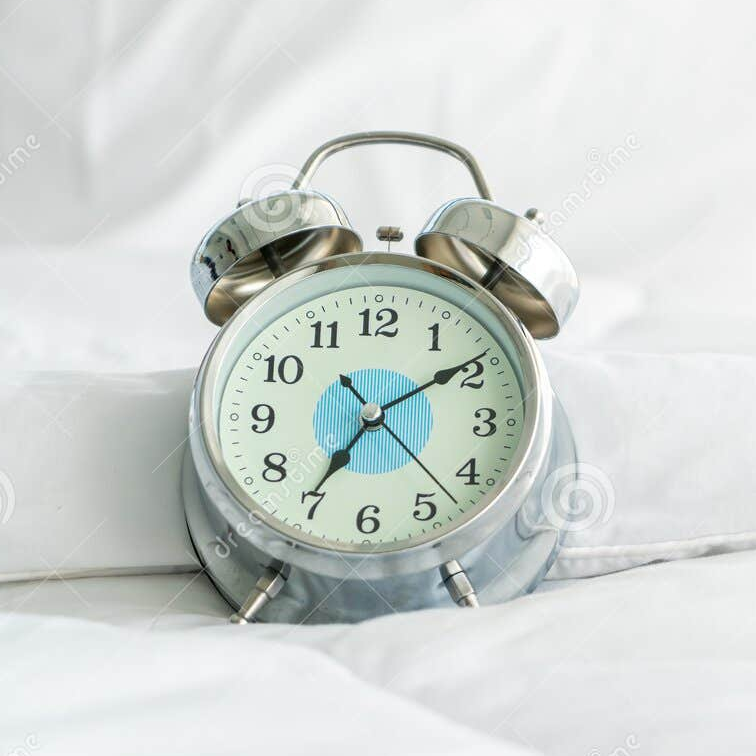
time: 7:09
